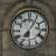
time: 7:05
